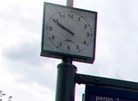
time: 9:50
